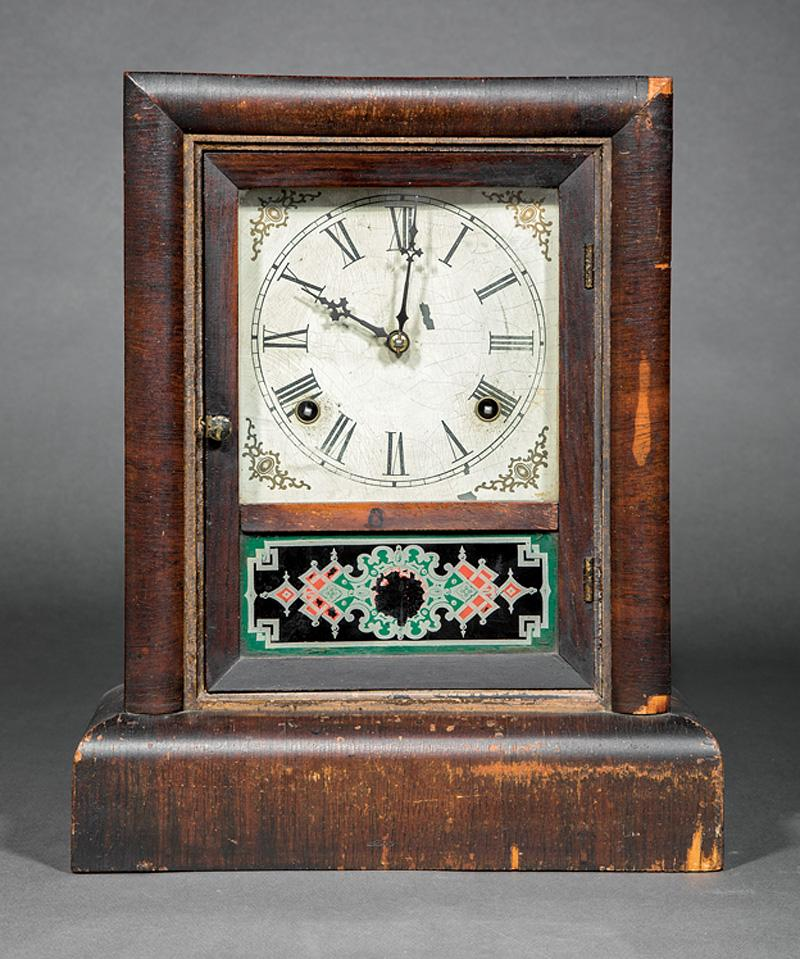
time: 10:00
